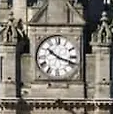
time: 10:18
